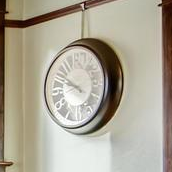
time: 9:51
